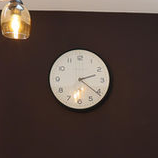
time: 2:21
